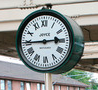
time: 2:45
